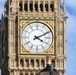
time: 4:10
